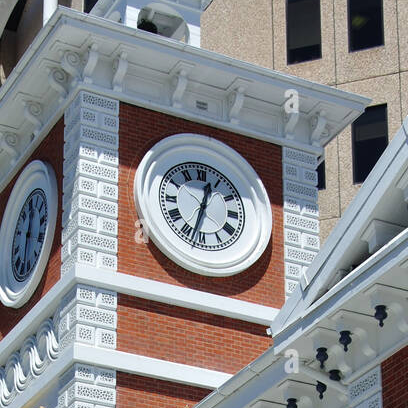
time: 12:32
